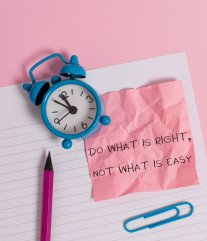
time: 10:50
